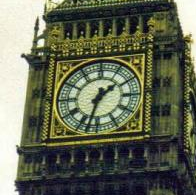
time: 1:32
